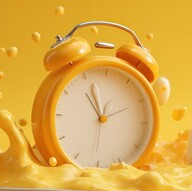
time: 10:56
